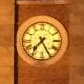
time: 7:25
